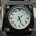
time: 1:26
